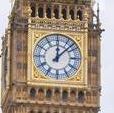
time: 12:07
